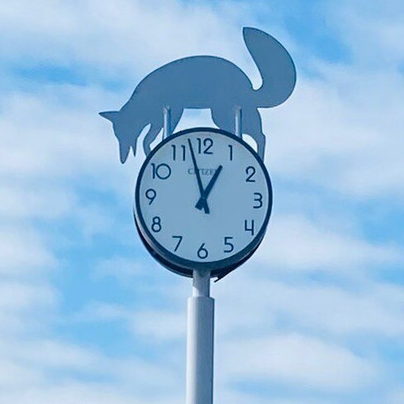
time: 12:57
